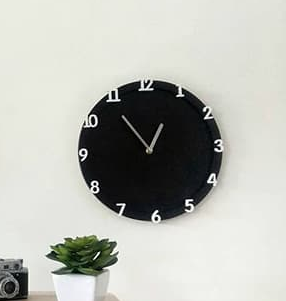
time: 12:53
